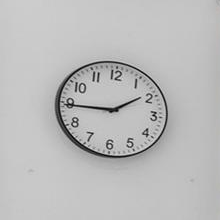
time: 1:44
